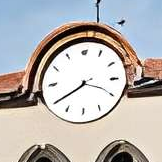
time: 3:39
